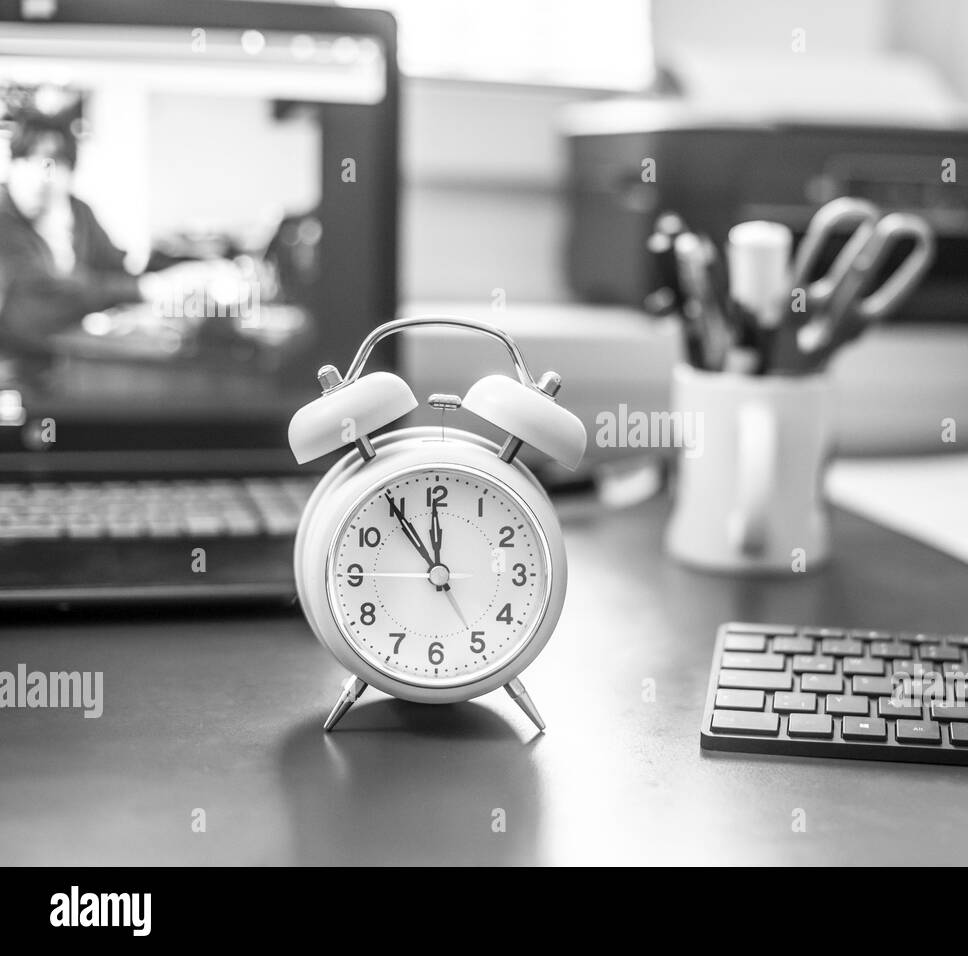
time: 11:54
